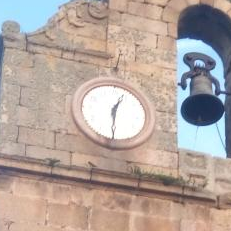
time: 12:29
